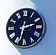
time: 2:32
